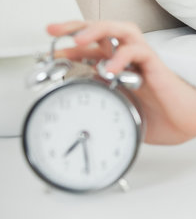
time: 7:29
